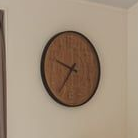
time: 9:36
